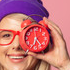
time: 6:23
